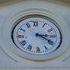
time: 3:19
